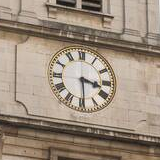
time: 3:29
